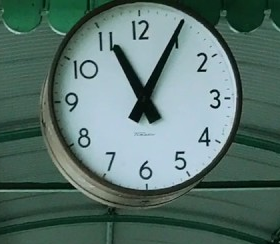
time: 11:05
